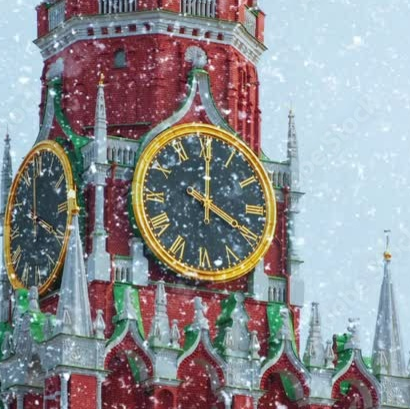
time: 4:00
